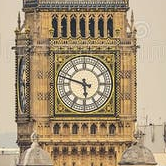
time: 5:47
